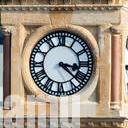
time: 3:22
